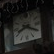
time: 8:19
